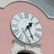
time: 1:26
